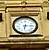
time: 6:14
